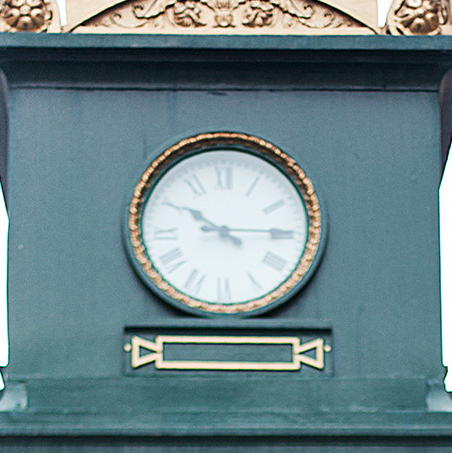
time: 10:14
